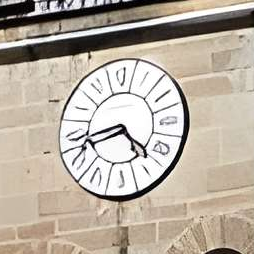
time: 4:42
